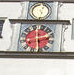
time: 2:29
